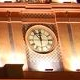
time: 11:53
